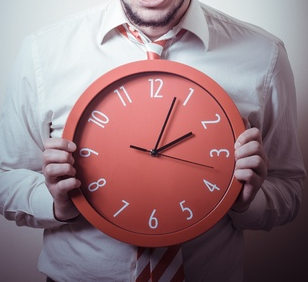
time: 2:03
